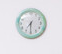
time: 7:30
